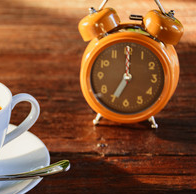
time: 7:00
